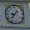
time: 8:36
